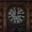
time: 12:13
